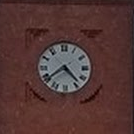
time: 4:39
